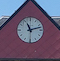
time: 11:12
